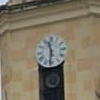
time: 11:31
